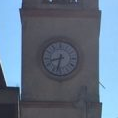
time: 8:32
